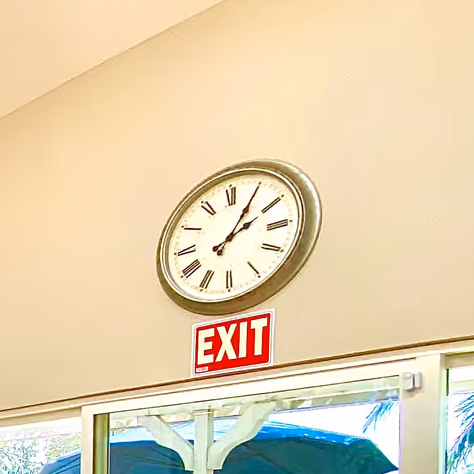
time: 2:04
